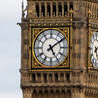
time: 5:09
